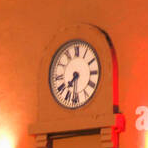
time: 7:31
